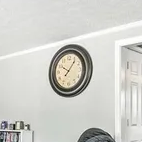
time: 10:06
